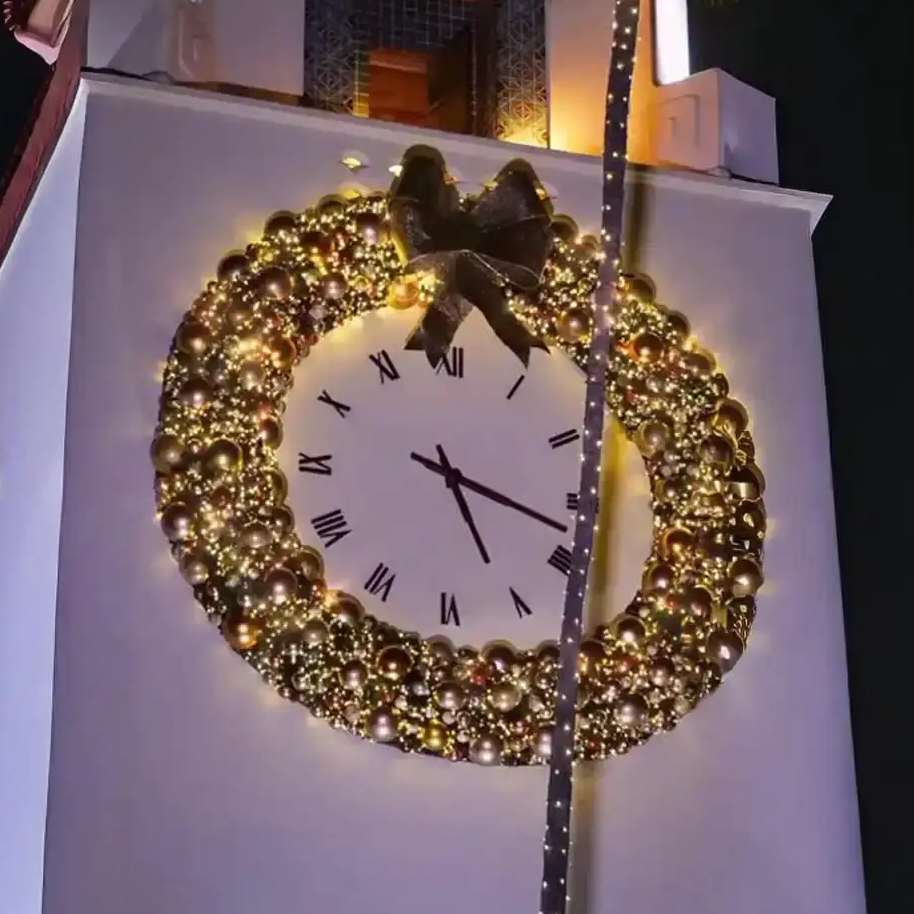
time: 5:18
